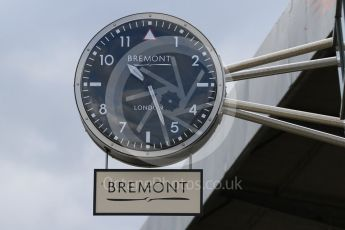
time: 10:26
